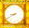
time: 8:39
